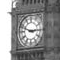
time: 2:48
